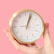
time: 1:03
